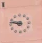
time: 9:47
